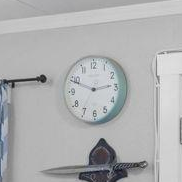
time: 2:48
